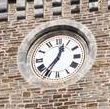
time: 12:35
